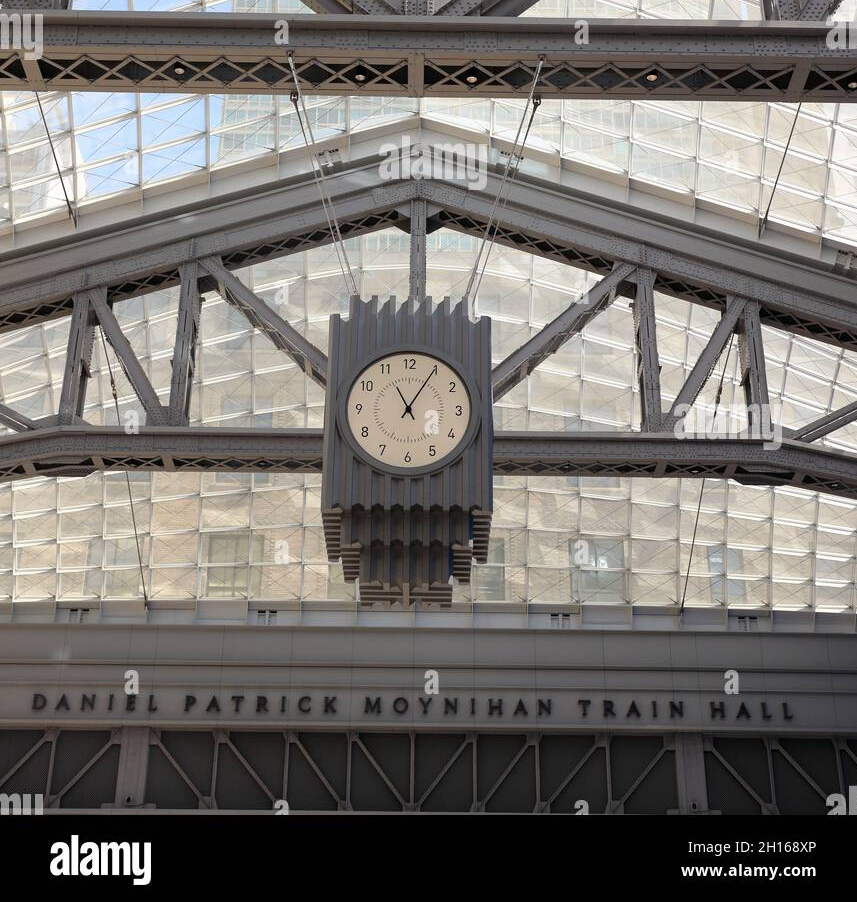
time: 11:05
